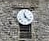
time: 11:22
